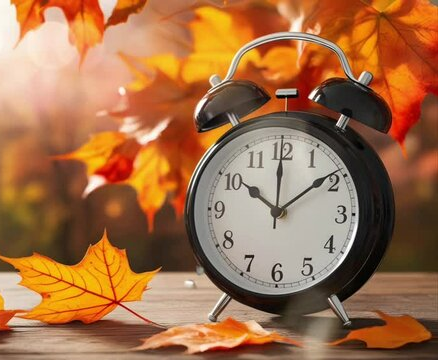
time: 10:08
